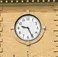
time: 9:25
